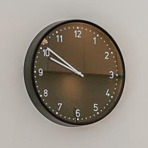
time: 9:50
